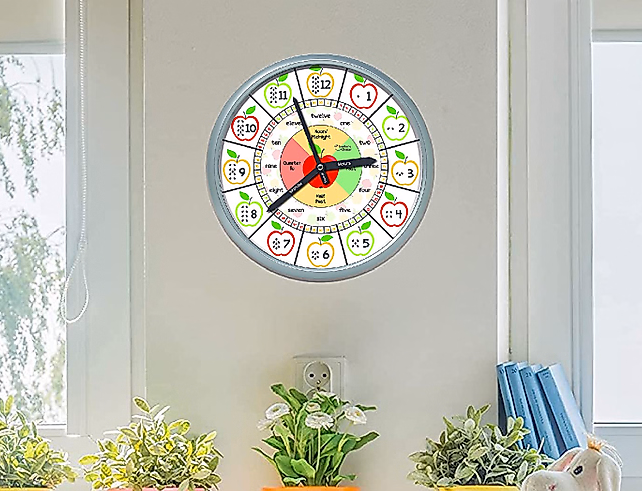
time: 2:56
